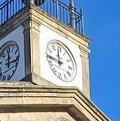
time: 11:44
